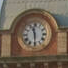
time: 11:29
